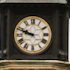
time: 9:48
